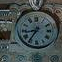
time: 8:35
